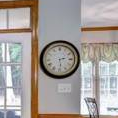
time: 2:29
